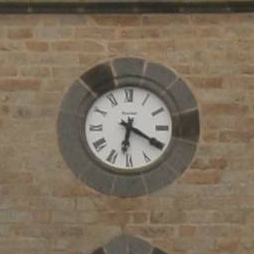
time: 6:20
